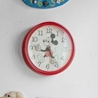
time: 12:24
